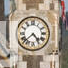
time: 4:37
